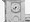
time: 7:32
